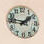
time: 1:46
